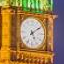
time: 5:09
